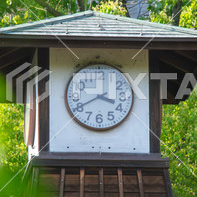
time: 3:40
